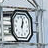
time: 1:01
